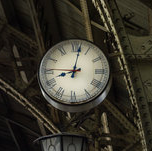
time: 9:01
